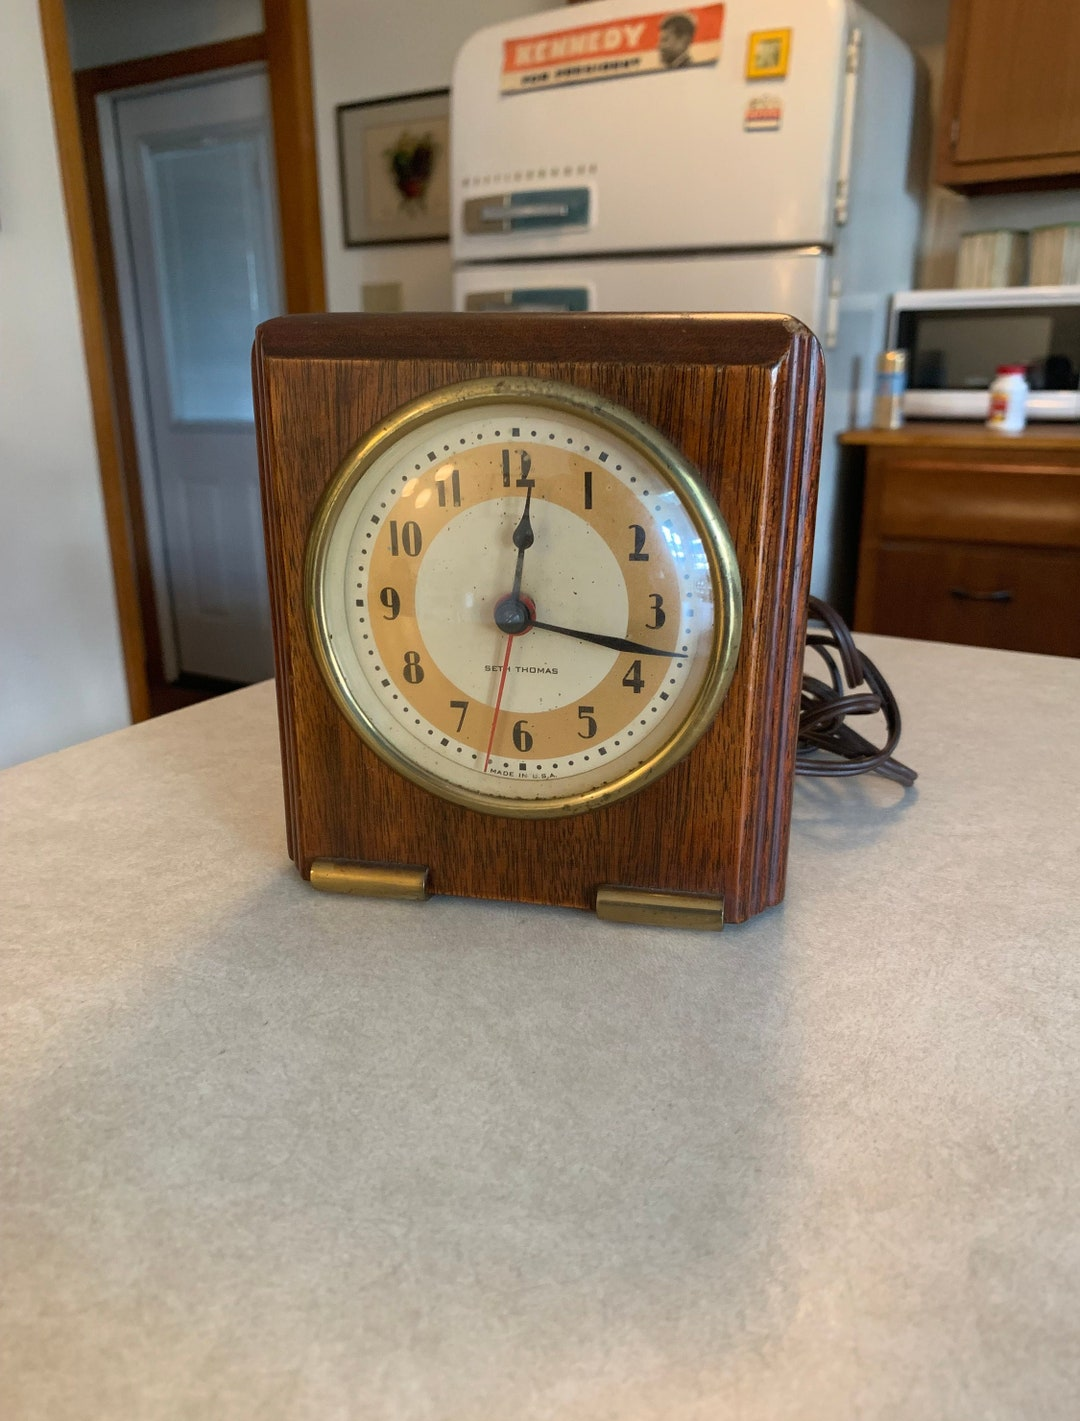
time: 12:17
